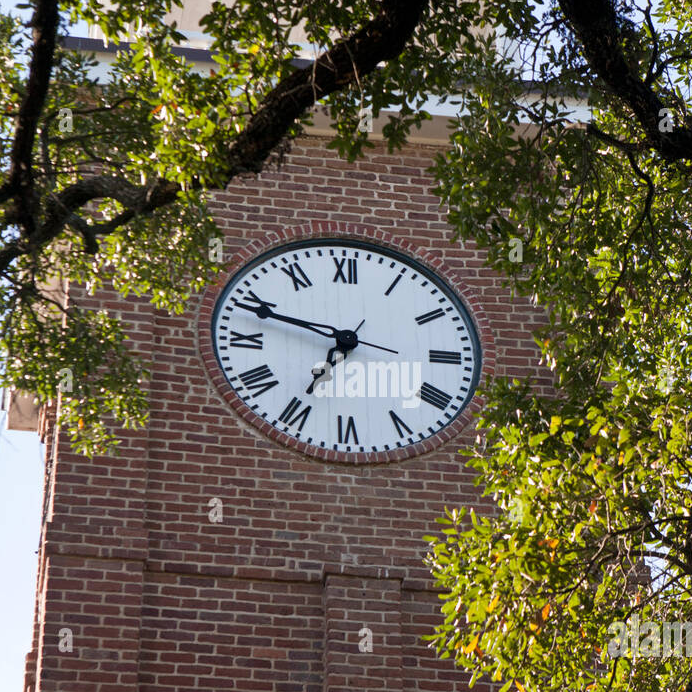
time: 6:48
